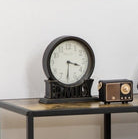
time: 3:30
